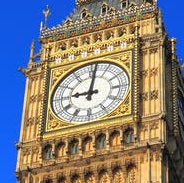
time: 9:01
